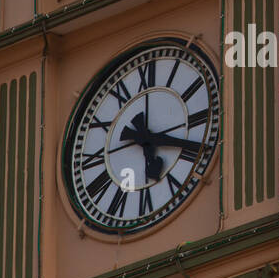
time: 5:18
